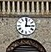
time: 3:01
